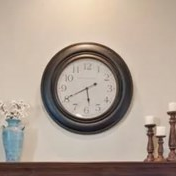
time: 5:40
